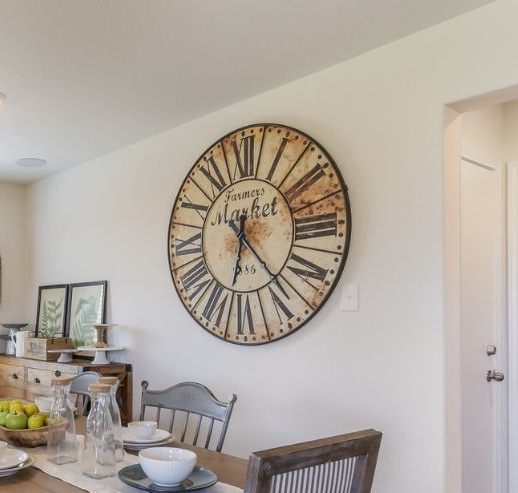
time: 6:23
